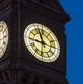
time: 8:56
